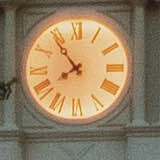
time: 7:54
